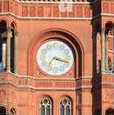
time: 7:17
